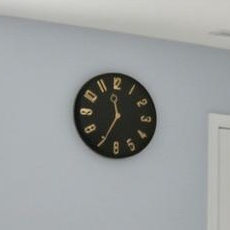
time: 11:34
